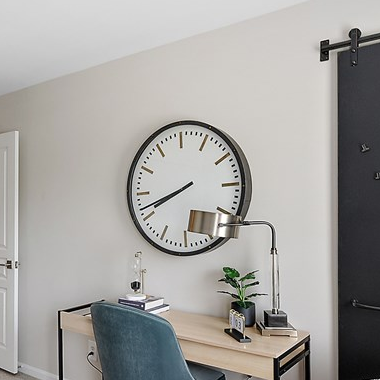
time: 8:41
